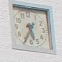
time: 5:34
